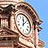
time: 12:07
